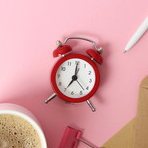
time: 7:00
